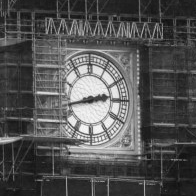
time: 2:42
